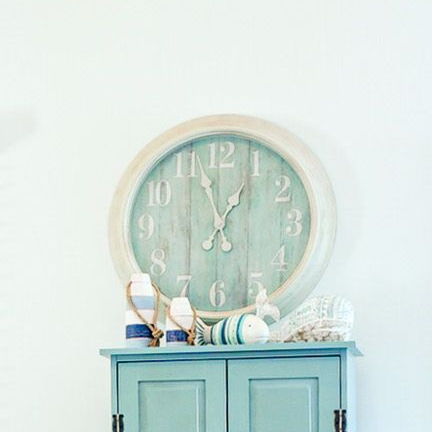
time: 12:56
